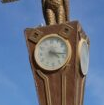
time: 4:16
